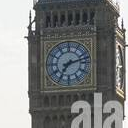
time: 7:12
